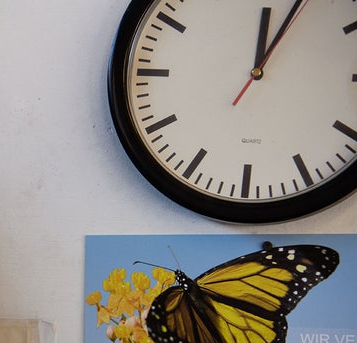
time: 12:04
